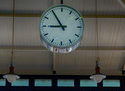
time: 8:54
